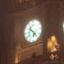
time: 6:22
